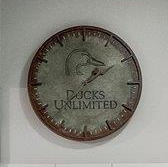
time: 1:37
